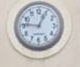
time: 12:46
